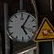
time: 5:05
